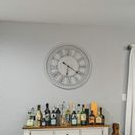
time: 6:20
